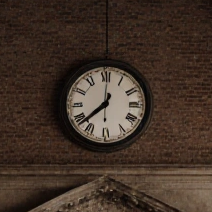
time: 7:37
